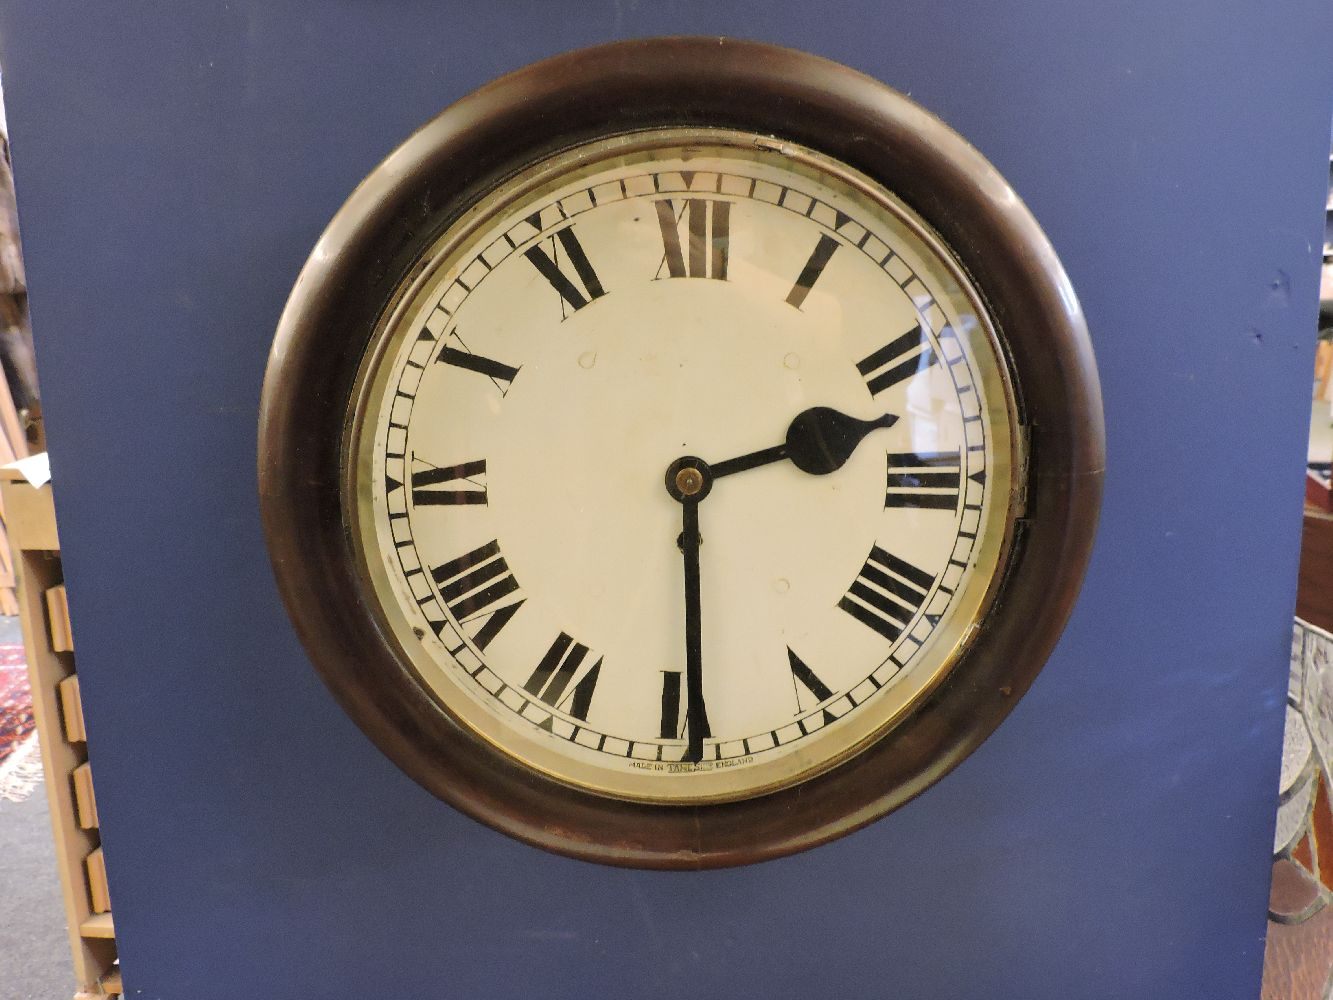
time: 2:29
